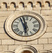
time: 5:57
